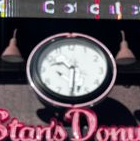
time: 9:31
